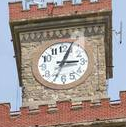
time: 3:04
